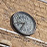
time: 8:35
